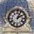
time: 2:04
